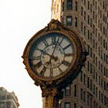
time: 10:02
